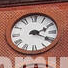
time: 2:19
